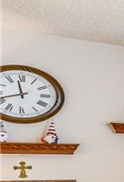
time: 11:41
